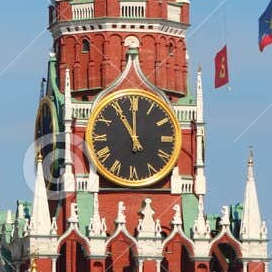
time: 11:00
